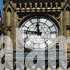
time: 11:46
